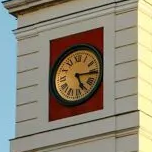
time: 5:15
